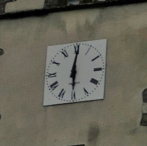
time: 6:00
